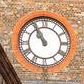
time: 10:55
